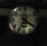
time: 4:35
